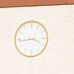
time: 3:43
